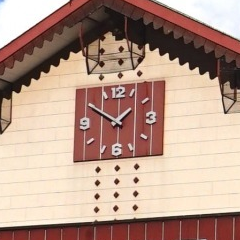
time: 1:50
